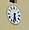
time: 5:31
